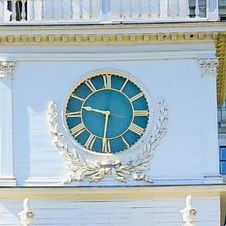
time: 9:31
